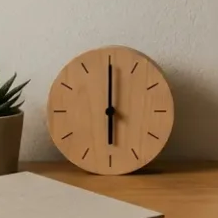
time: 6:00
